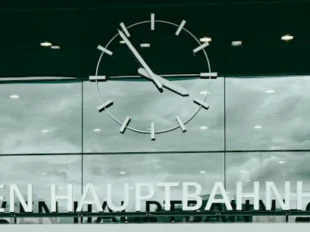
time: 3:54
